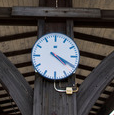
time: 4:19
